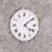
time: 4:08
